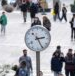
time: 2:25
